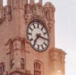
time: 7:15
